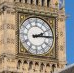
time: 2:14
